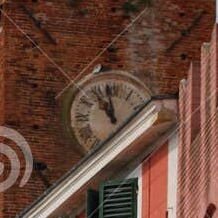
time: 10:58
